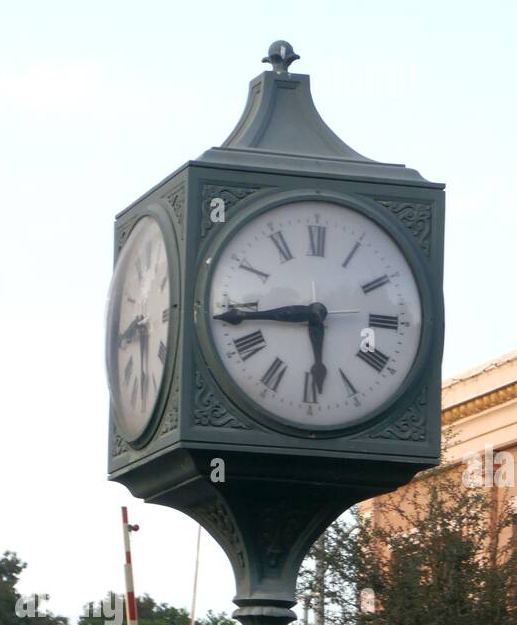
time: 5:43
